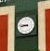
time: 8:46
